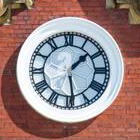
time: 1:28
